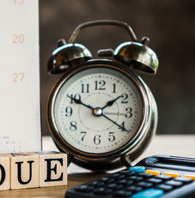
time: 1:49
